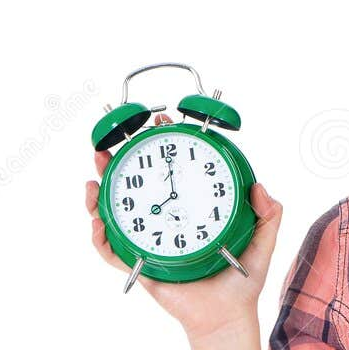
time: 8:00
